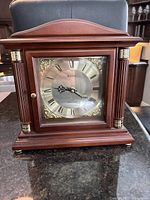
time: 9:20
